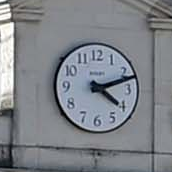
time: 4:12
